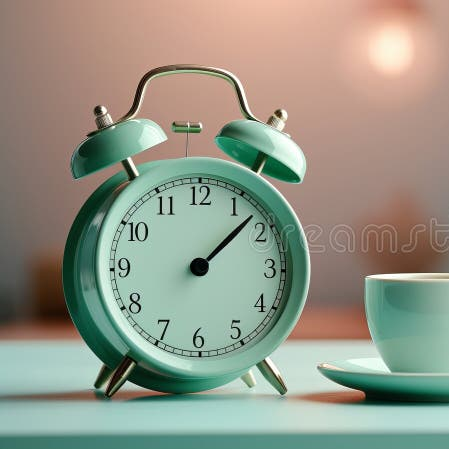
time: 1:07
